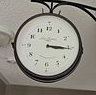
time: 3:15
